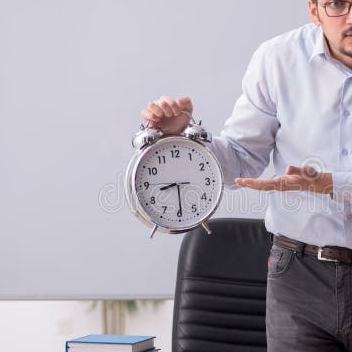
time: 8:29
